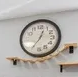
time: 12:35
